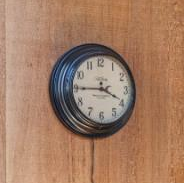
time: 3:44
